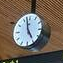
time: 4:57
